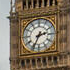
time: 2:34
